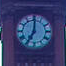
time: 7:00
